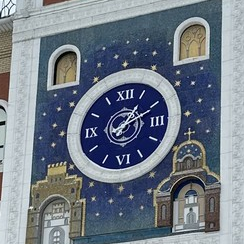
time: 1:10
